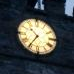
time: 10:35
